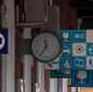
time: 11:35
